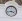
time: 3:43
